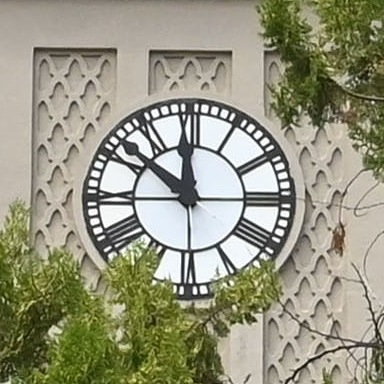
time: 11:51
